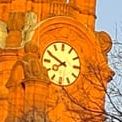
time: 7:49
